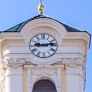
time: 9:13
